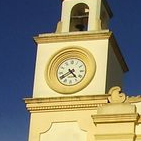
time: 4:40
